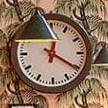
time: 12:20
